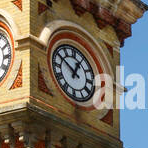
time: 12:50
